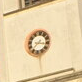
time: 7:15
